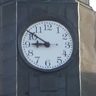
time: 8:51
